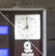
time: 7:59
